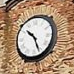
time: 10:26
